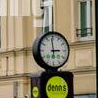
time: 2:58
